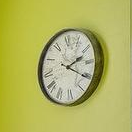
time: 2:20
